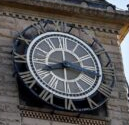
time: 8:16
